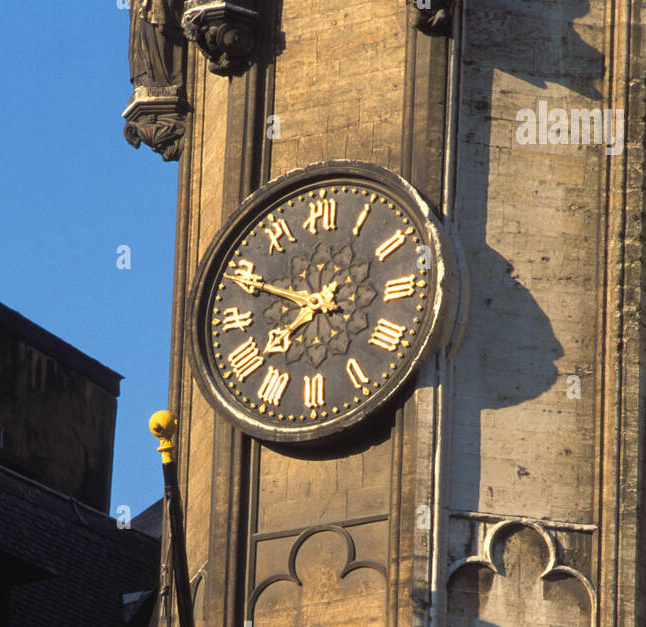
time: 7:49
